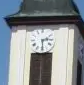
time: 2:29
